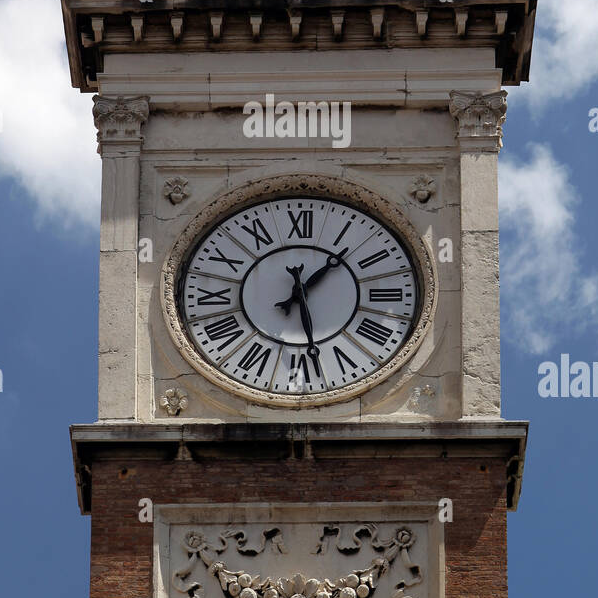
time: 1:28
